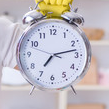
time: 7:12
